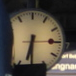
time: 6:30
